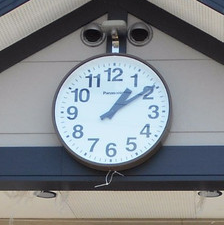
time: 1:09
